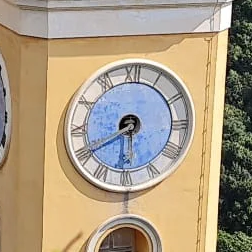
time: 5:40
